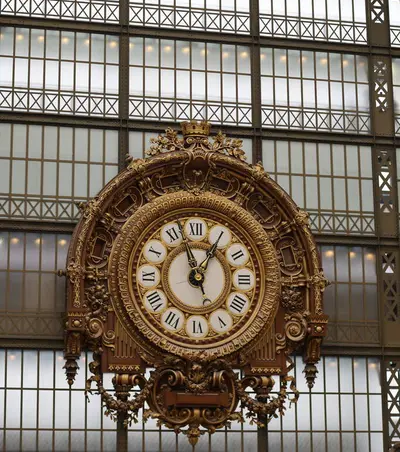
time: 12:57
